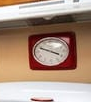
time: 3:49
